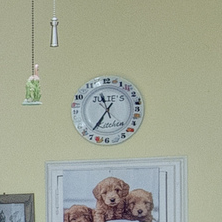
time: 11:36
